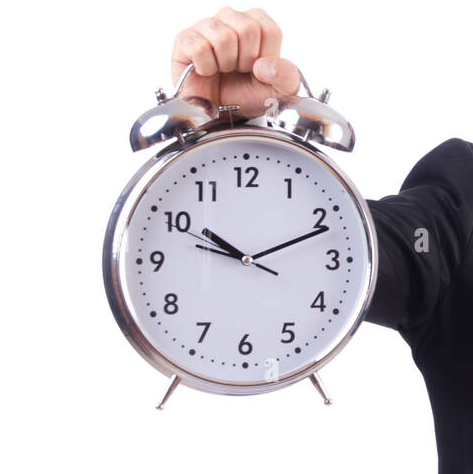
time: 10:11
